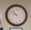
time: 9:53
